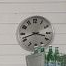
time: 3:41
